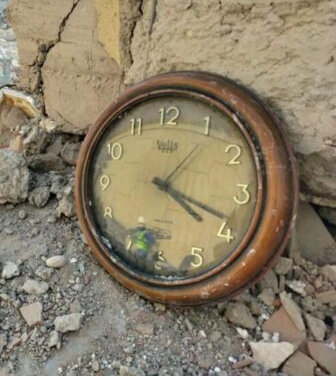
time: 4:18
